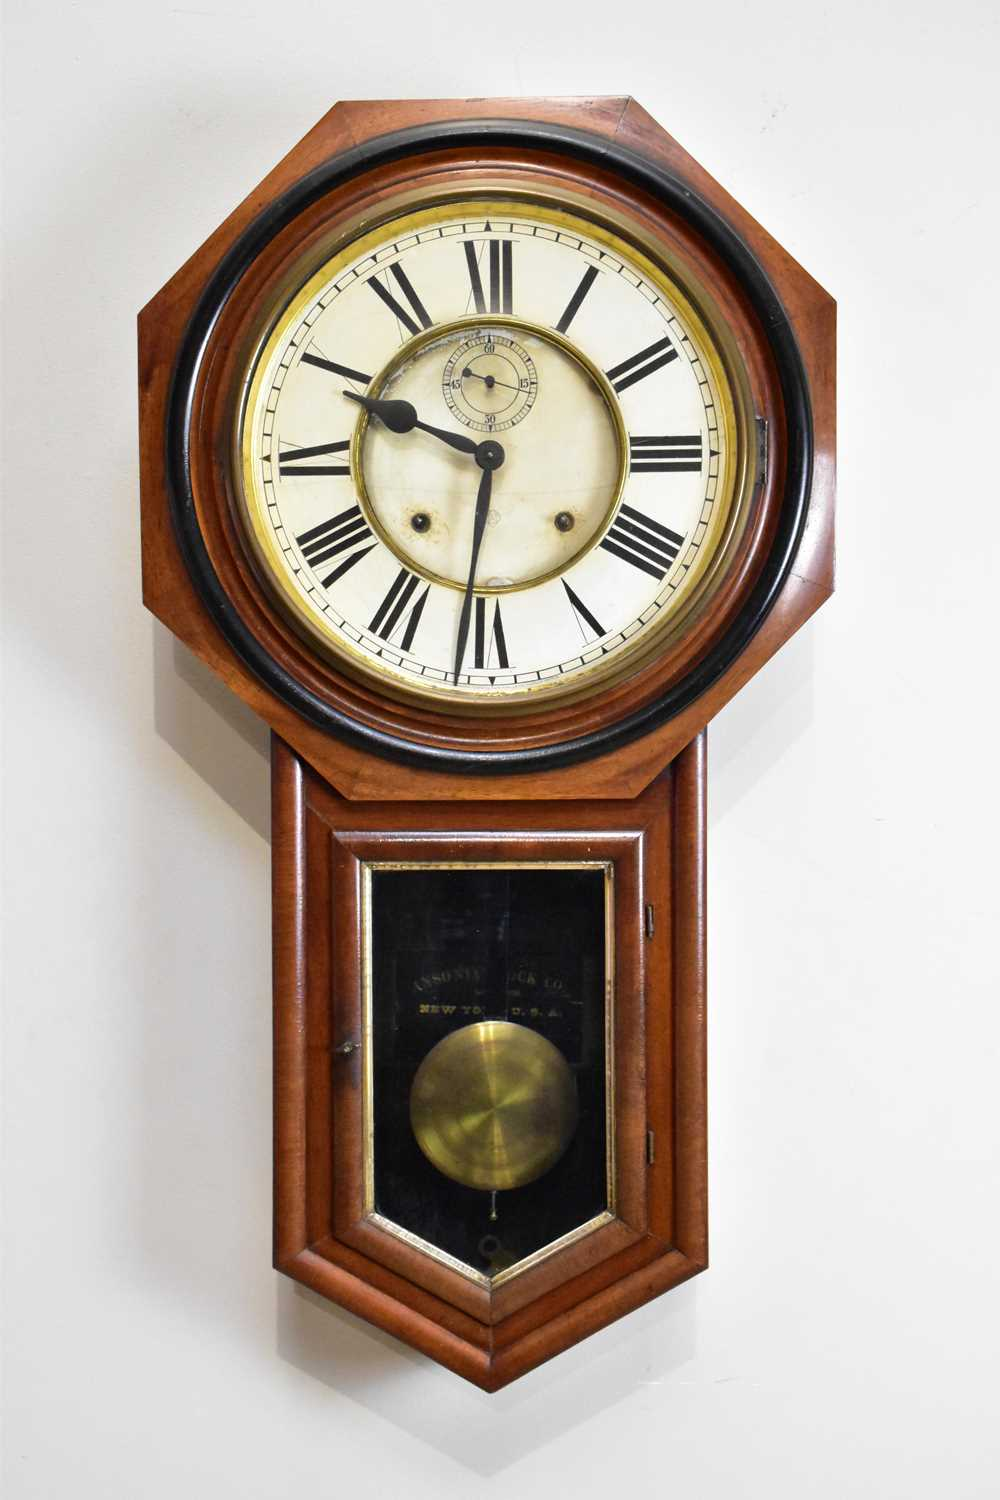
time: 9:31
